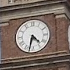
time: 4:32
